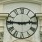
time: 2:45
